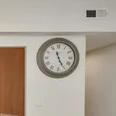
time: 11:25
